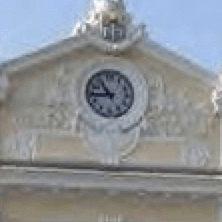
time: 10:43
